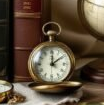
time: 12:09
